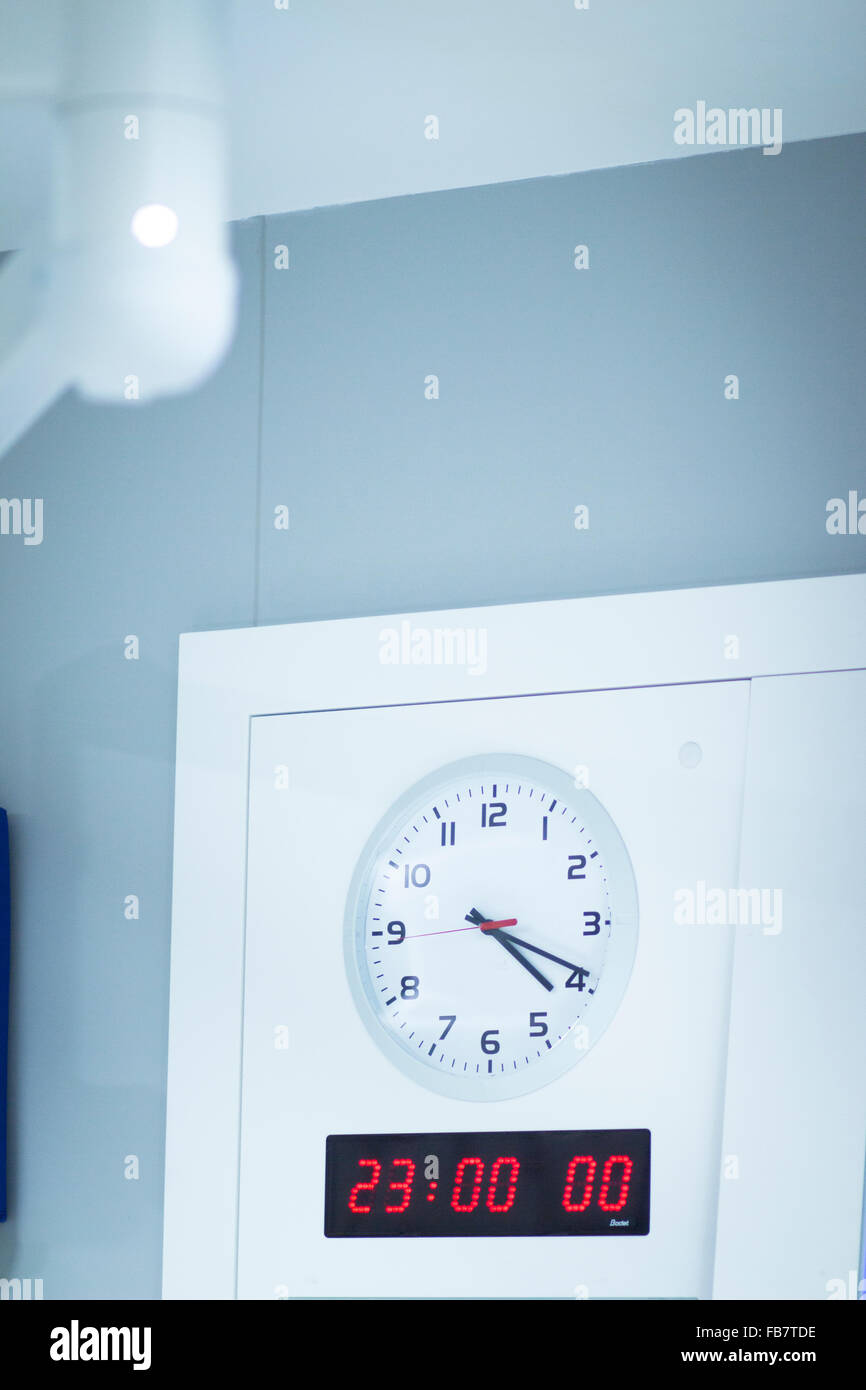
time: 4:19
